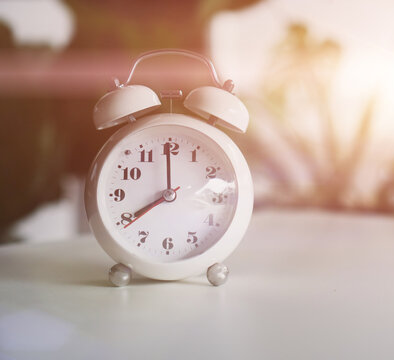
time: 7:59
